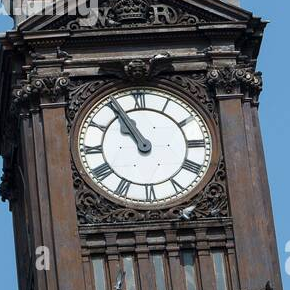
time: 10:55
